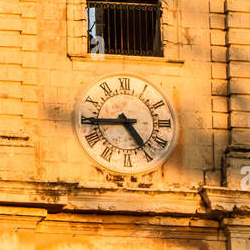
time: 4:44
